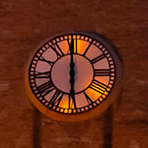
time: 5:59
